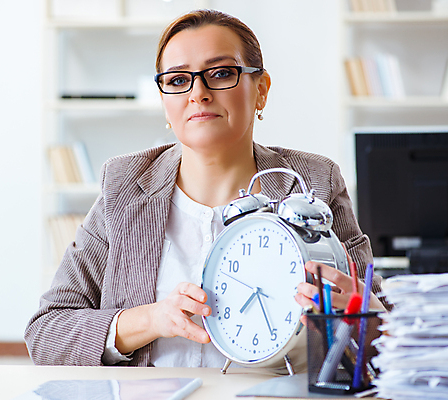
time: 7:25
